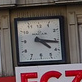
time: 4:16
